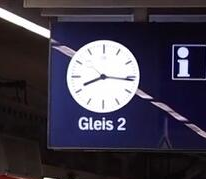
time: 8:16
